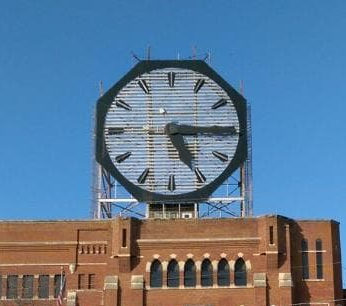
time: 5:14
